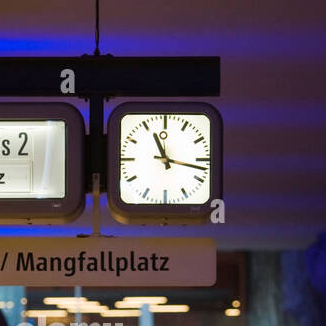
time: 11:17
